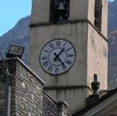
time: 1:23
